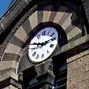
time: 2:48
